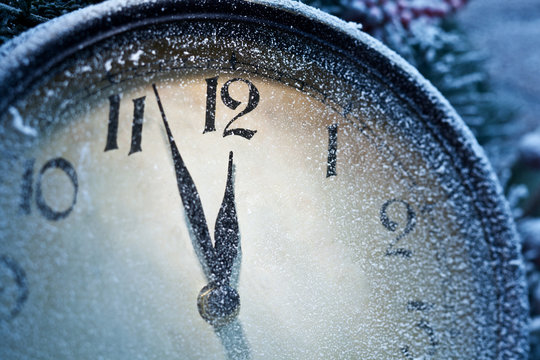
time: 11:56
